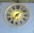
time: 7:08
